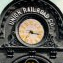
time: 7:17
